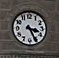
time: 3:25
